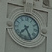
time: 7:25
